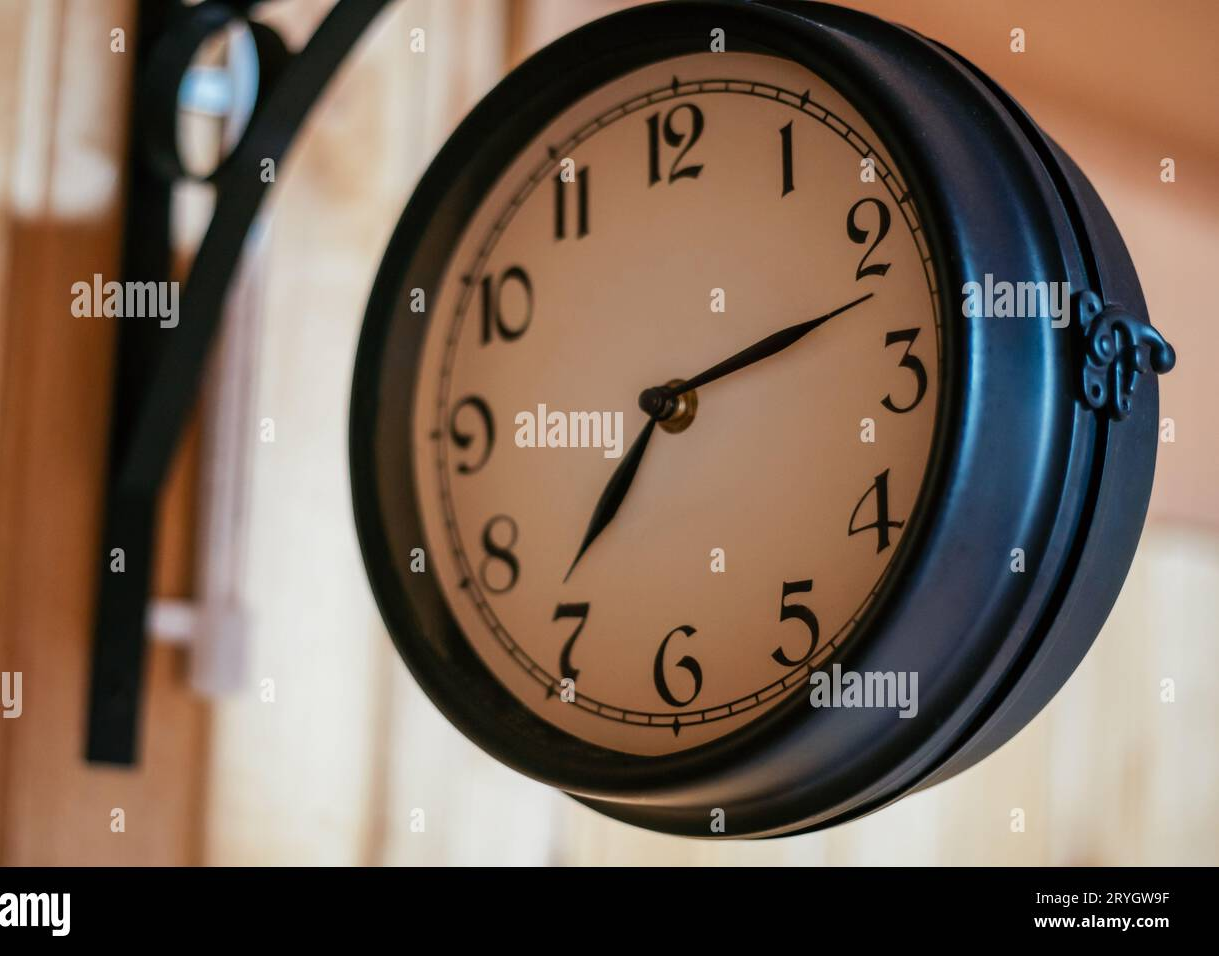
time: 7:12
